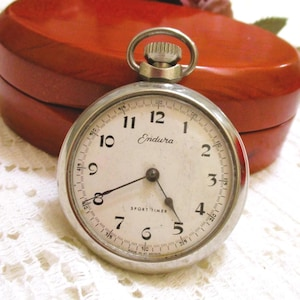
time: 4:40
